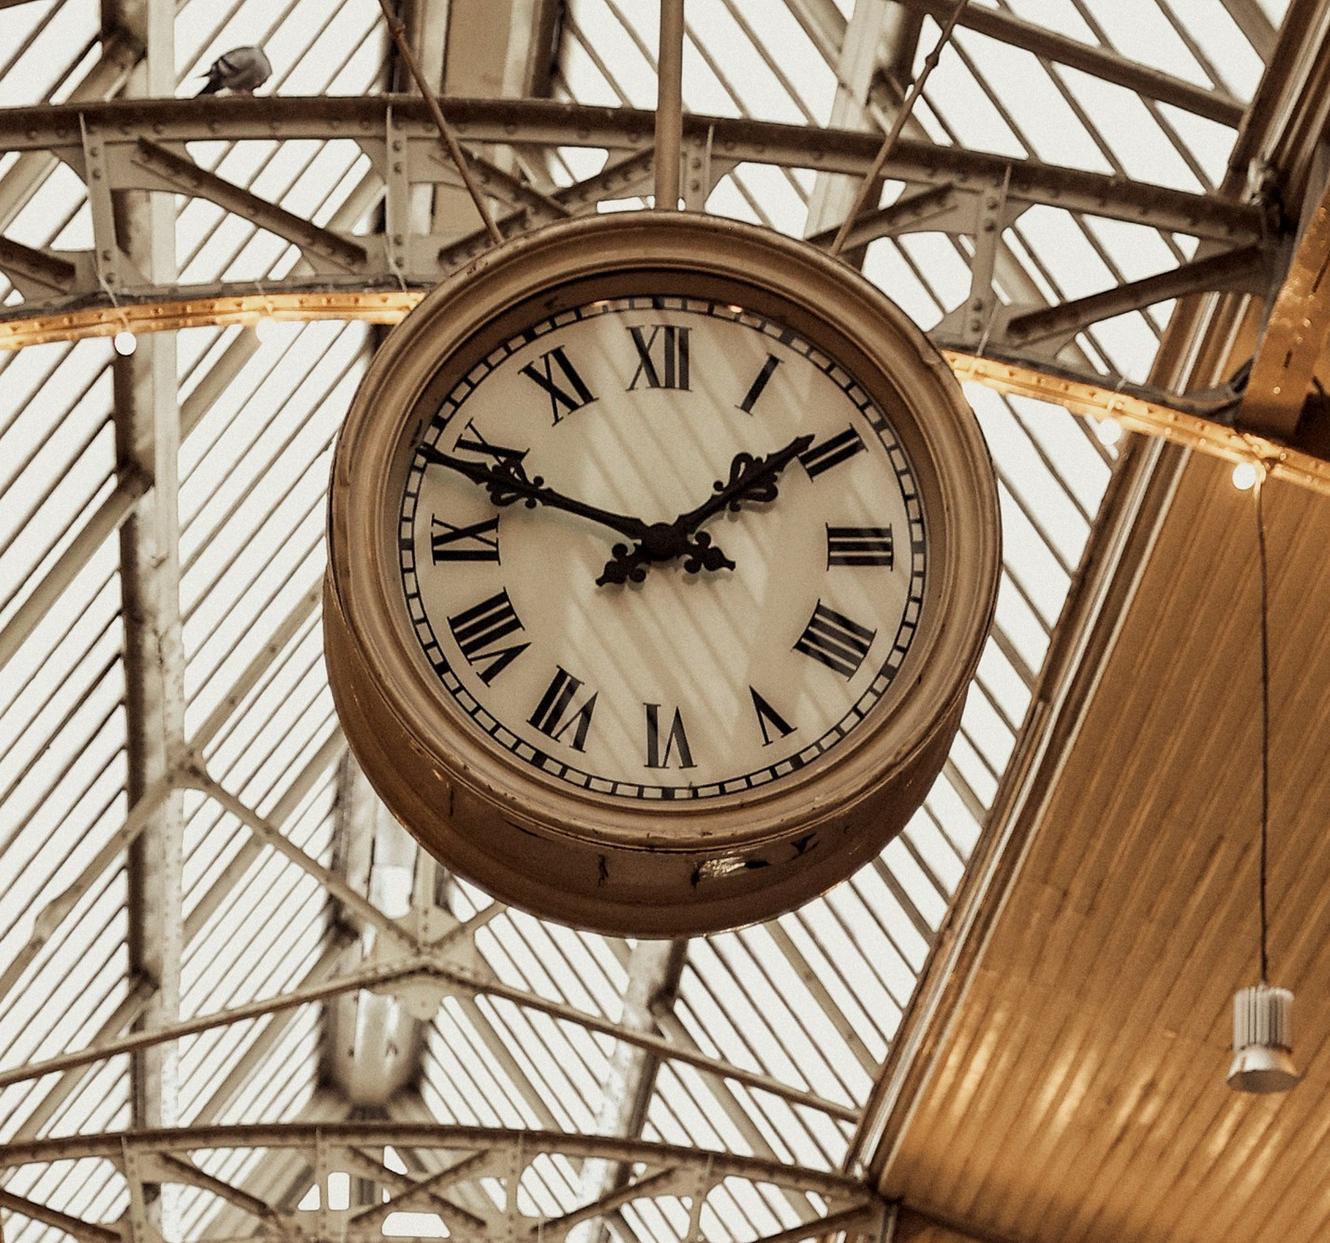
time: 1:48
